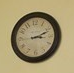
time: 3:11
